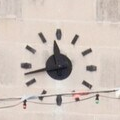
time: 11:42
